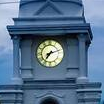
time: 7:12
